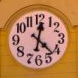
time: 12:22
